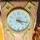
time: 4:17
